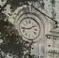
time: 1:43
